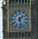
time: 1:28
